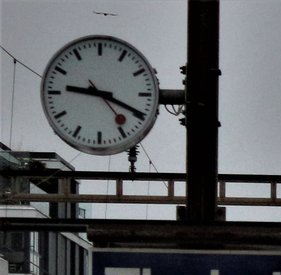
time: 9:19
